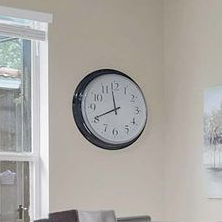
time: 11:40
